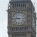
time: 9:45
